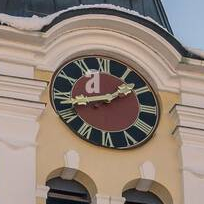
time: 1:42
